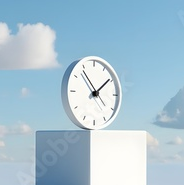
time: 1:53
